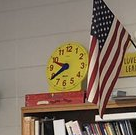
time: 7:48
